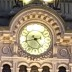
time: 4:42
